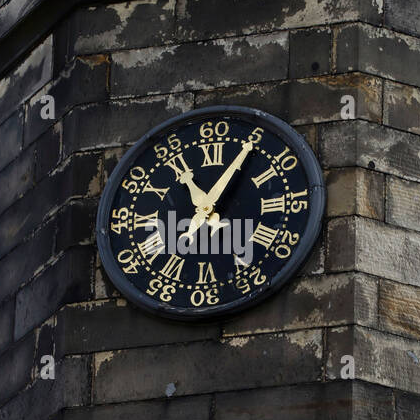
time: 11:05
